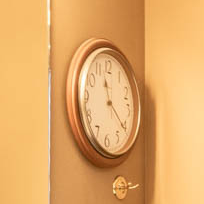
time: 11:21
